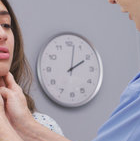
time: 2:01
